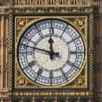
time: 11:47
